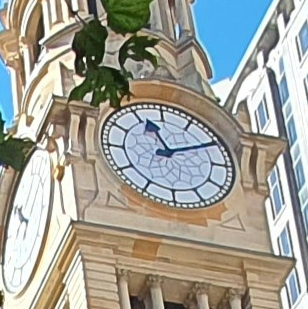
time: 11:10
